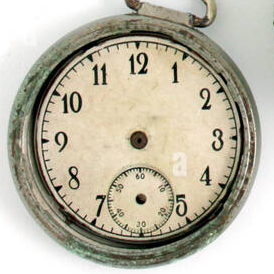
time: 4:35
